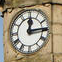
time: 12:14
